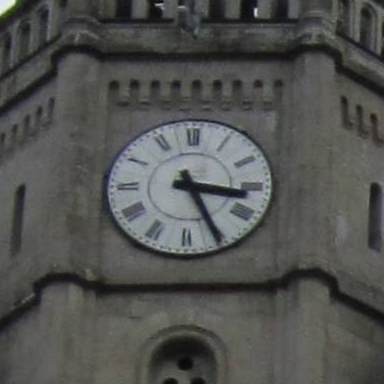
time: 3:25
